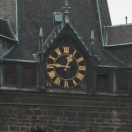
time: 12:45
